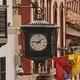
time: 1:46
